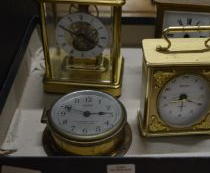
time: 2:48
